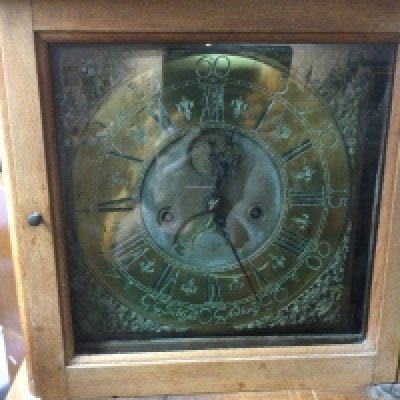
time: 12:26
